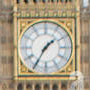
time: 1:35
